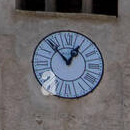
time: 12:53
